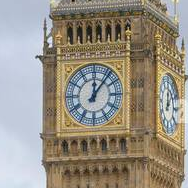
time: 12:06
